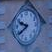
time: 9:39
